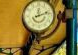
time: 12:11
